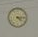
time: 4:14
